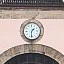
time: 1:30
